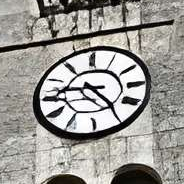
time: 9:23
